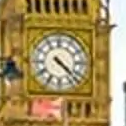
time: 4:22
